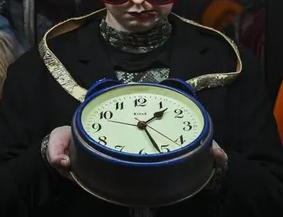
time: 1:26
